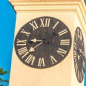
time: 8:38
